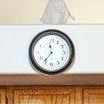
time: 11:36
